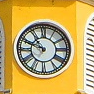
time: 10:48
